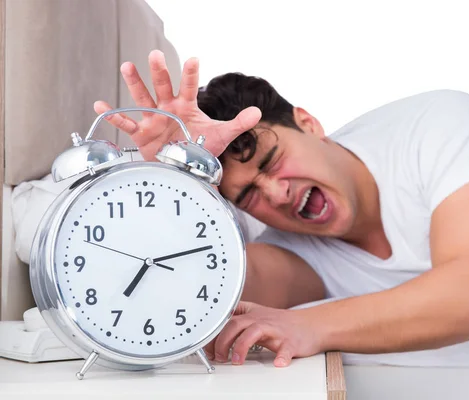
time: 7:12
